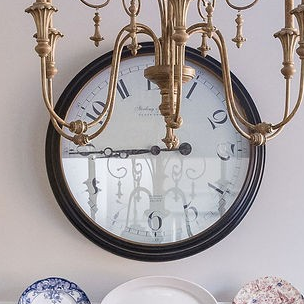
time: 11:44
